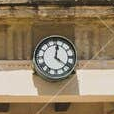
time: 12:21
